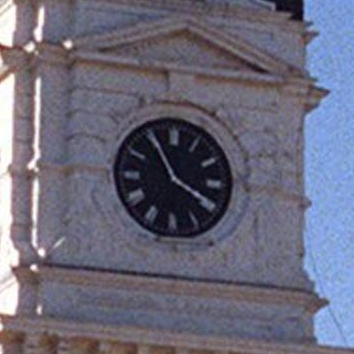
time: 3:55
